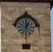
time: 1:01
